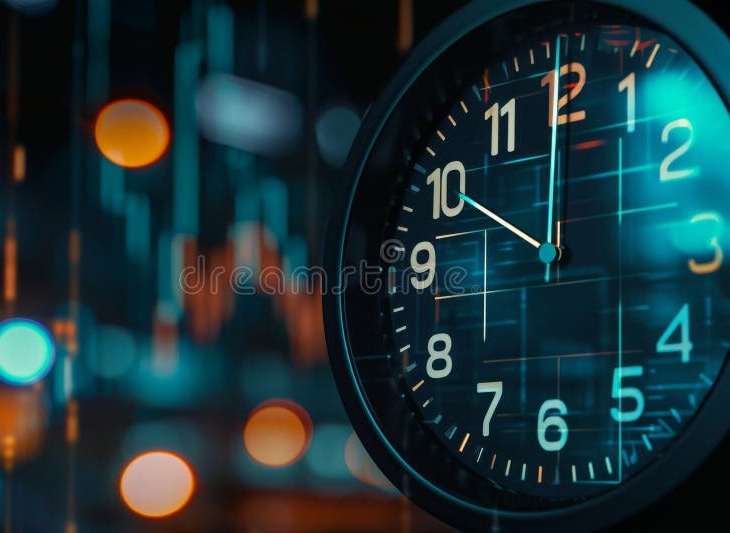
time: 9:59
